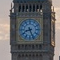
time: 8:26
